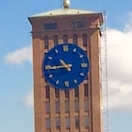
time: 10:44
